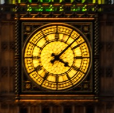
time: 4:07
